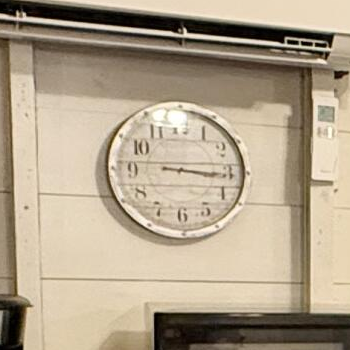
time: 3:15
